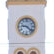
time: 9:22
